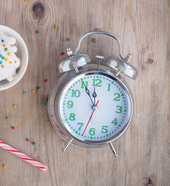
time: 11:55
